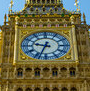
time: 9:33
